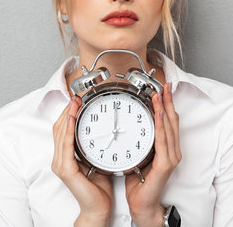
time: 7:00
